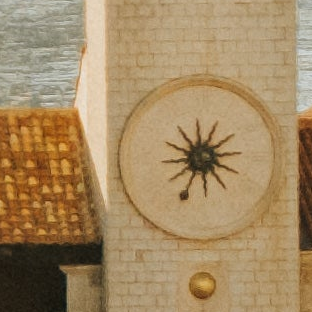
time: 1:33
